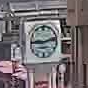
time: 9:12
